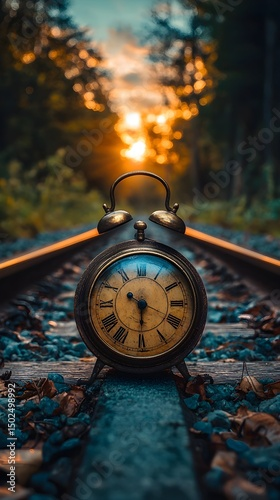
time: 10:30
